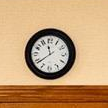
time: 11:38
